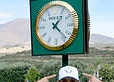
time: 1:22
